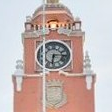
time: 6:14
